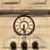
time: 6:28
